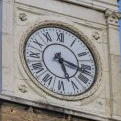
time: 5:17
